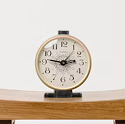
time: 2:46
